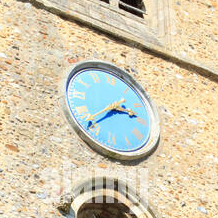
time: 2:37
